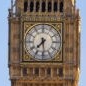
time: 7:28
